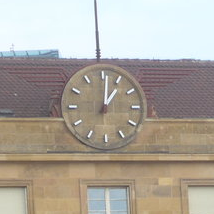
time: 1:01
